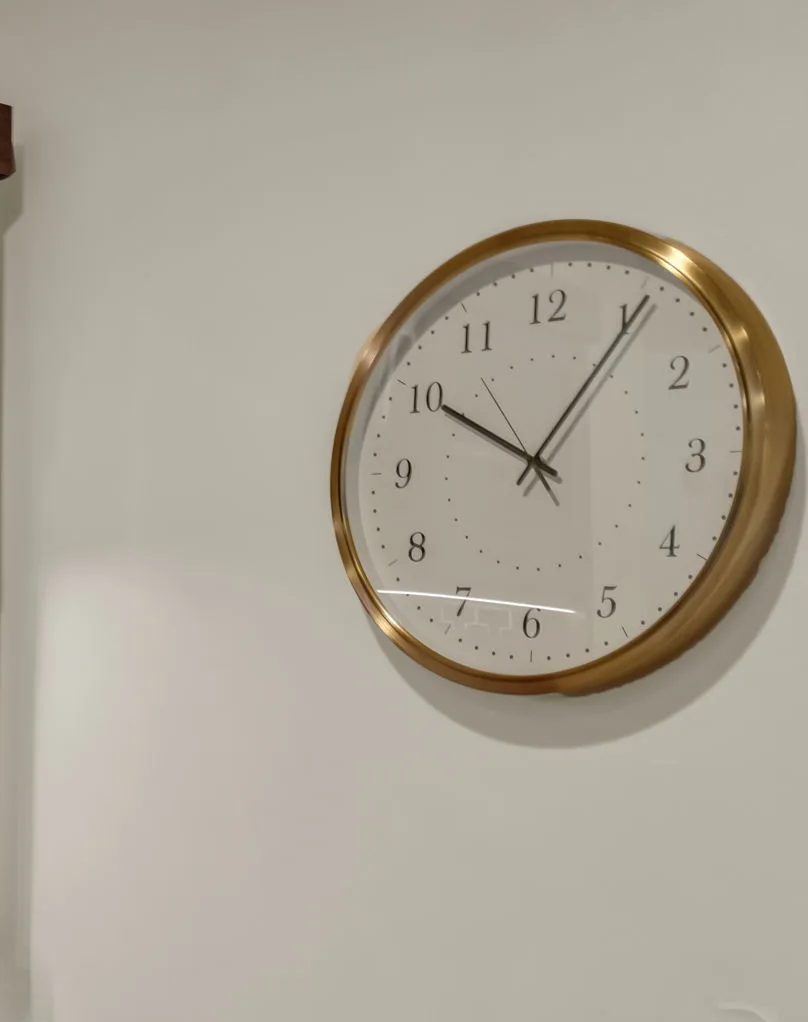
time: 10:05
